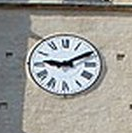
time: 9:10
